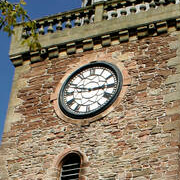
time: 2:48
